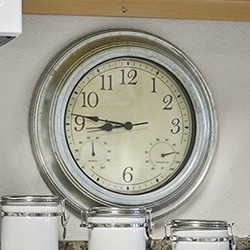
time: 8:46
